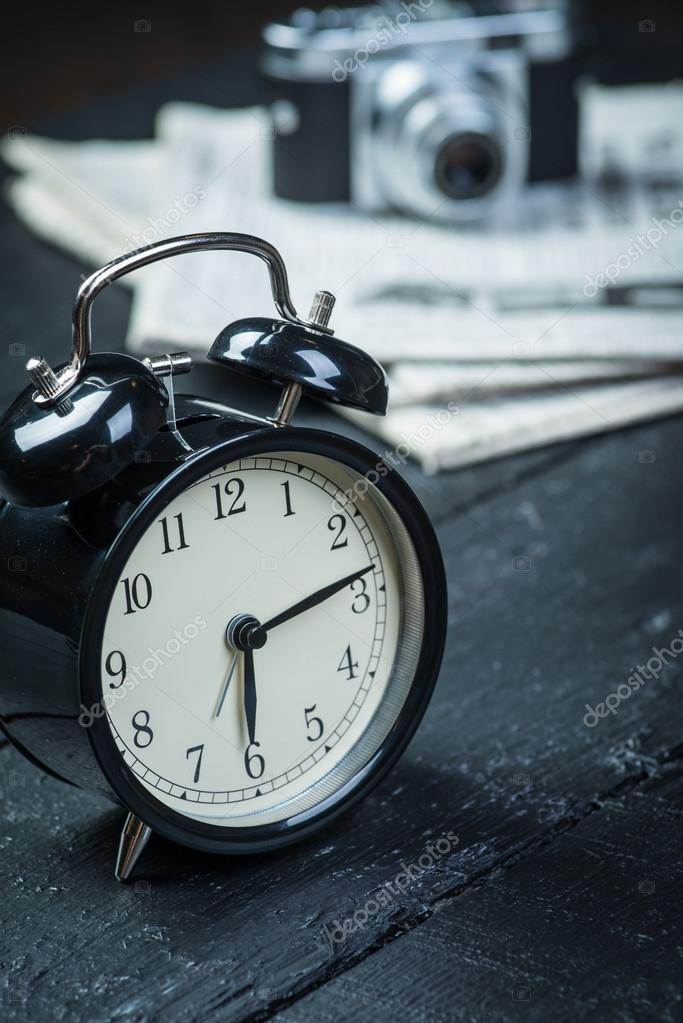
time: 6:13
